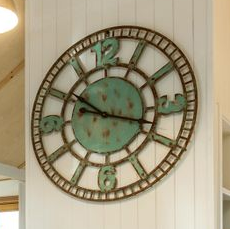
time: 10:17
